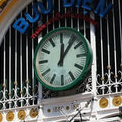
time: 12:06
